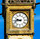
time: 9:43
